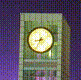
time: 8:34
